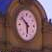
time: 5:51
